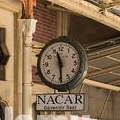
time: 11:29
